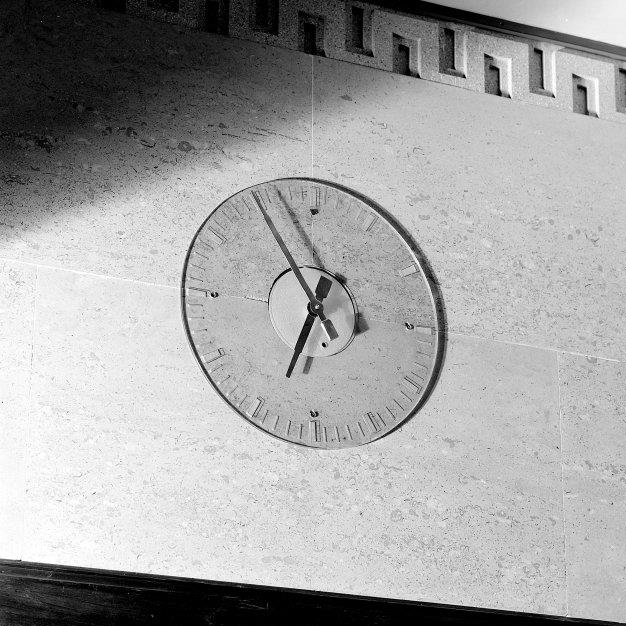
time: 6:55
